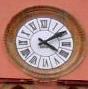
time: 4:09
